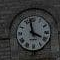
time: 3:58
